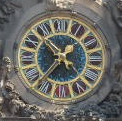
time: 10:36
